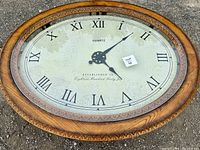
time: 4:07
